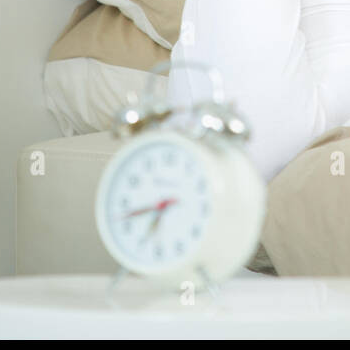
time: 6:42
